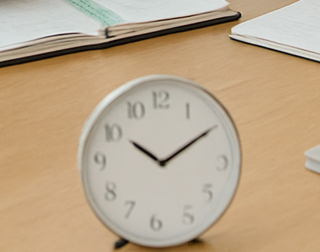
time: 10:09
